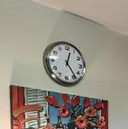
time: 12:23
